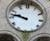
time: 9:47
